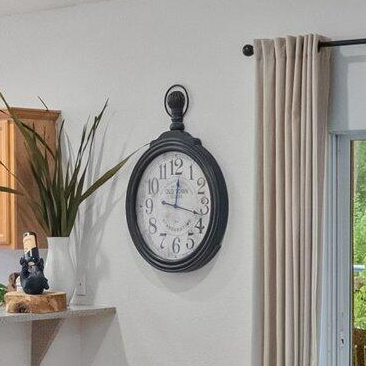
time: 12:16
